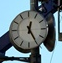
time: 12:24
